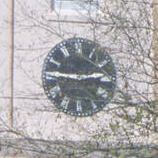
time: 2:46
